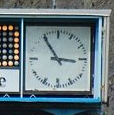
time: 2:54
